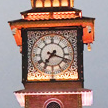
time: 7:18
